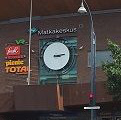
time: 3:13
